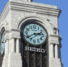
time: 2:39
